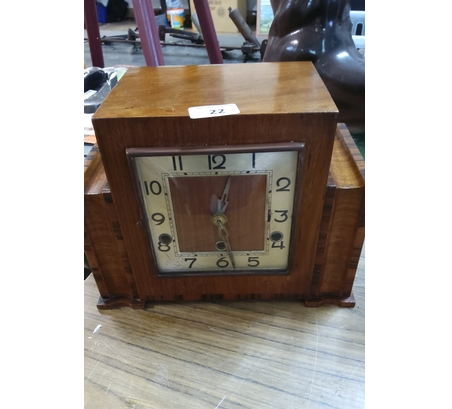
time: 12:28
